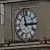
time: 2:57
